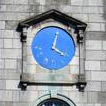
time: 4:02
